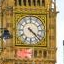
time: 4:22
